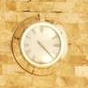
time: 4:22
